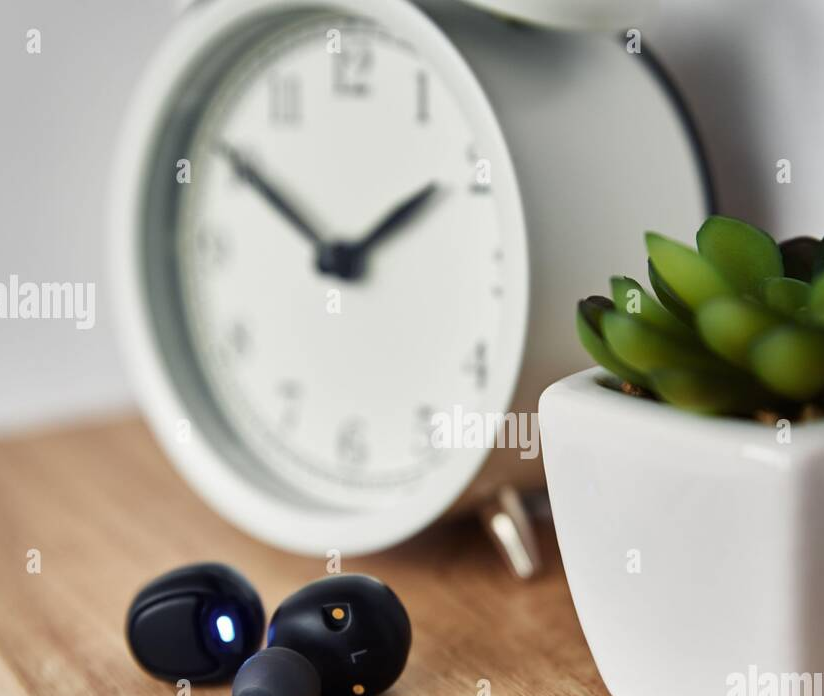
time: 1:50
